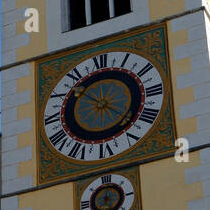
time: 10:22
